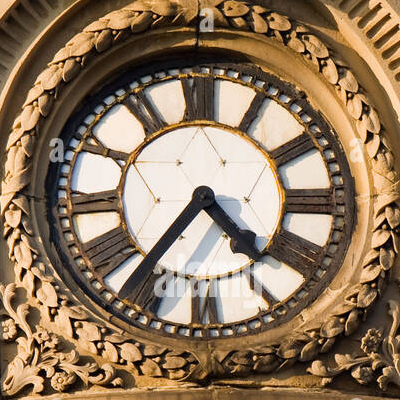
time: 4:36
